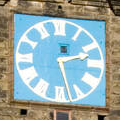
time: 2:27
